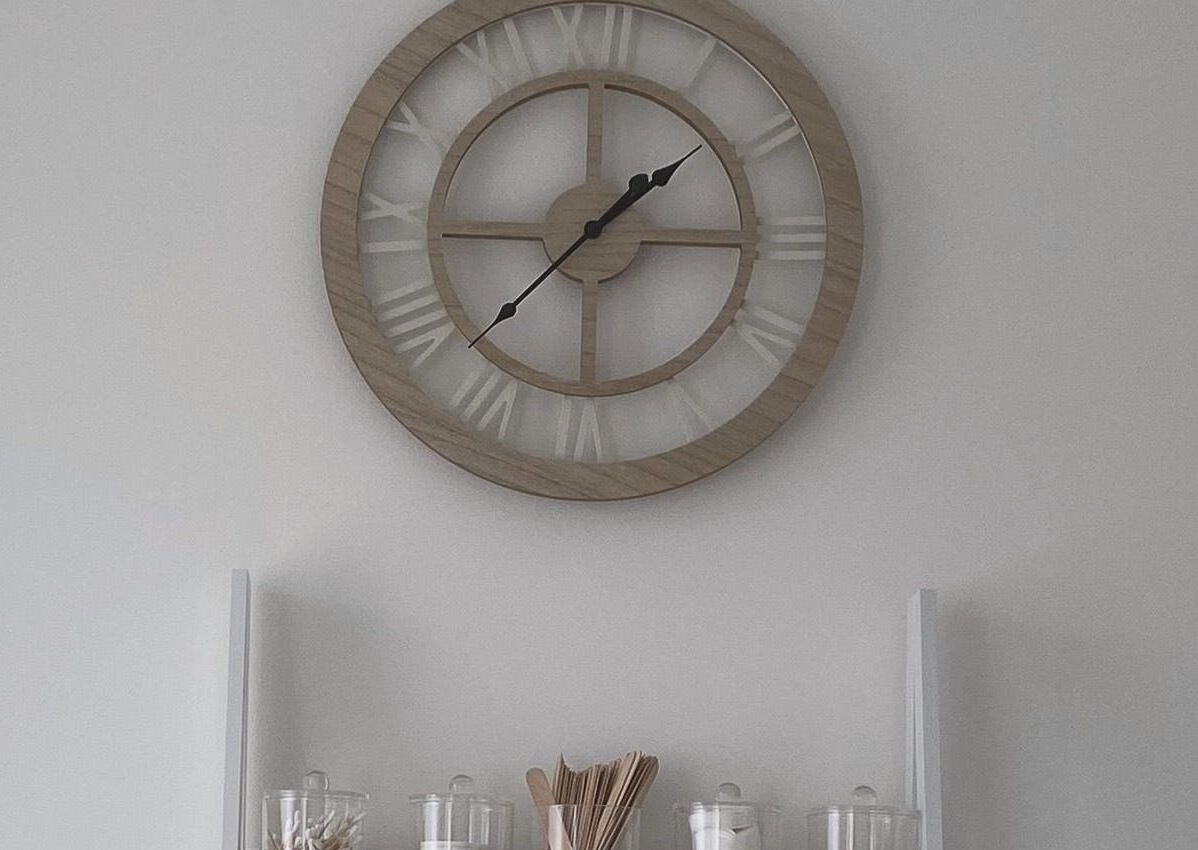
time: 1:37
